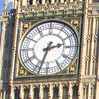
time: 2:33
